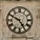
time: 4:49
